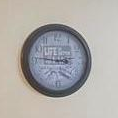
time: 2:46
